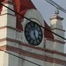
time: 4:59
